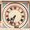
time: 7:33
